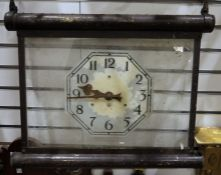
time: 9:45
